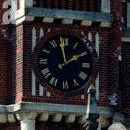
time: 1:58
